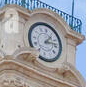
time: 1:13
